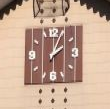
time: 2:04
